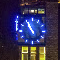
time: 10:55
